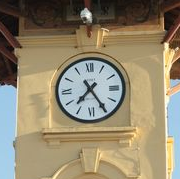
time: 7:24
